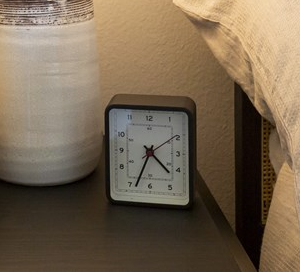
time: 4:34
